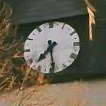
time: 7:28
